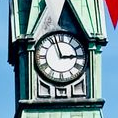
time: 2:57
